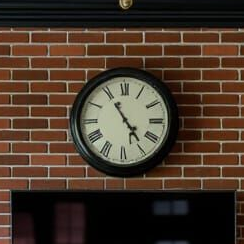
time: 4:54
